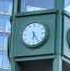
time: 6:24
